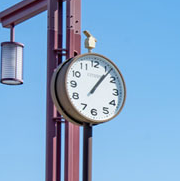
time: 1:06
